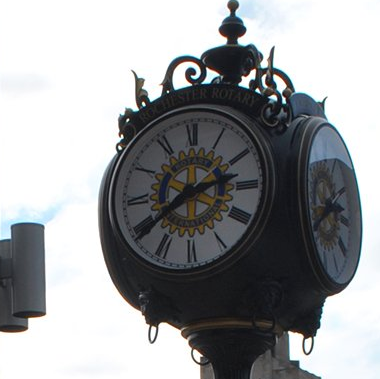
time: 2:39
